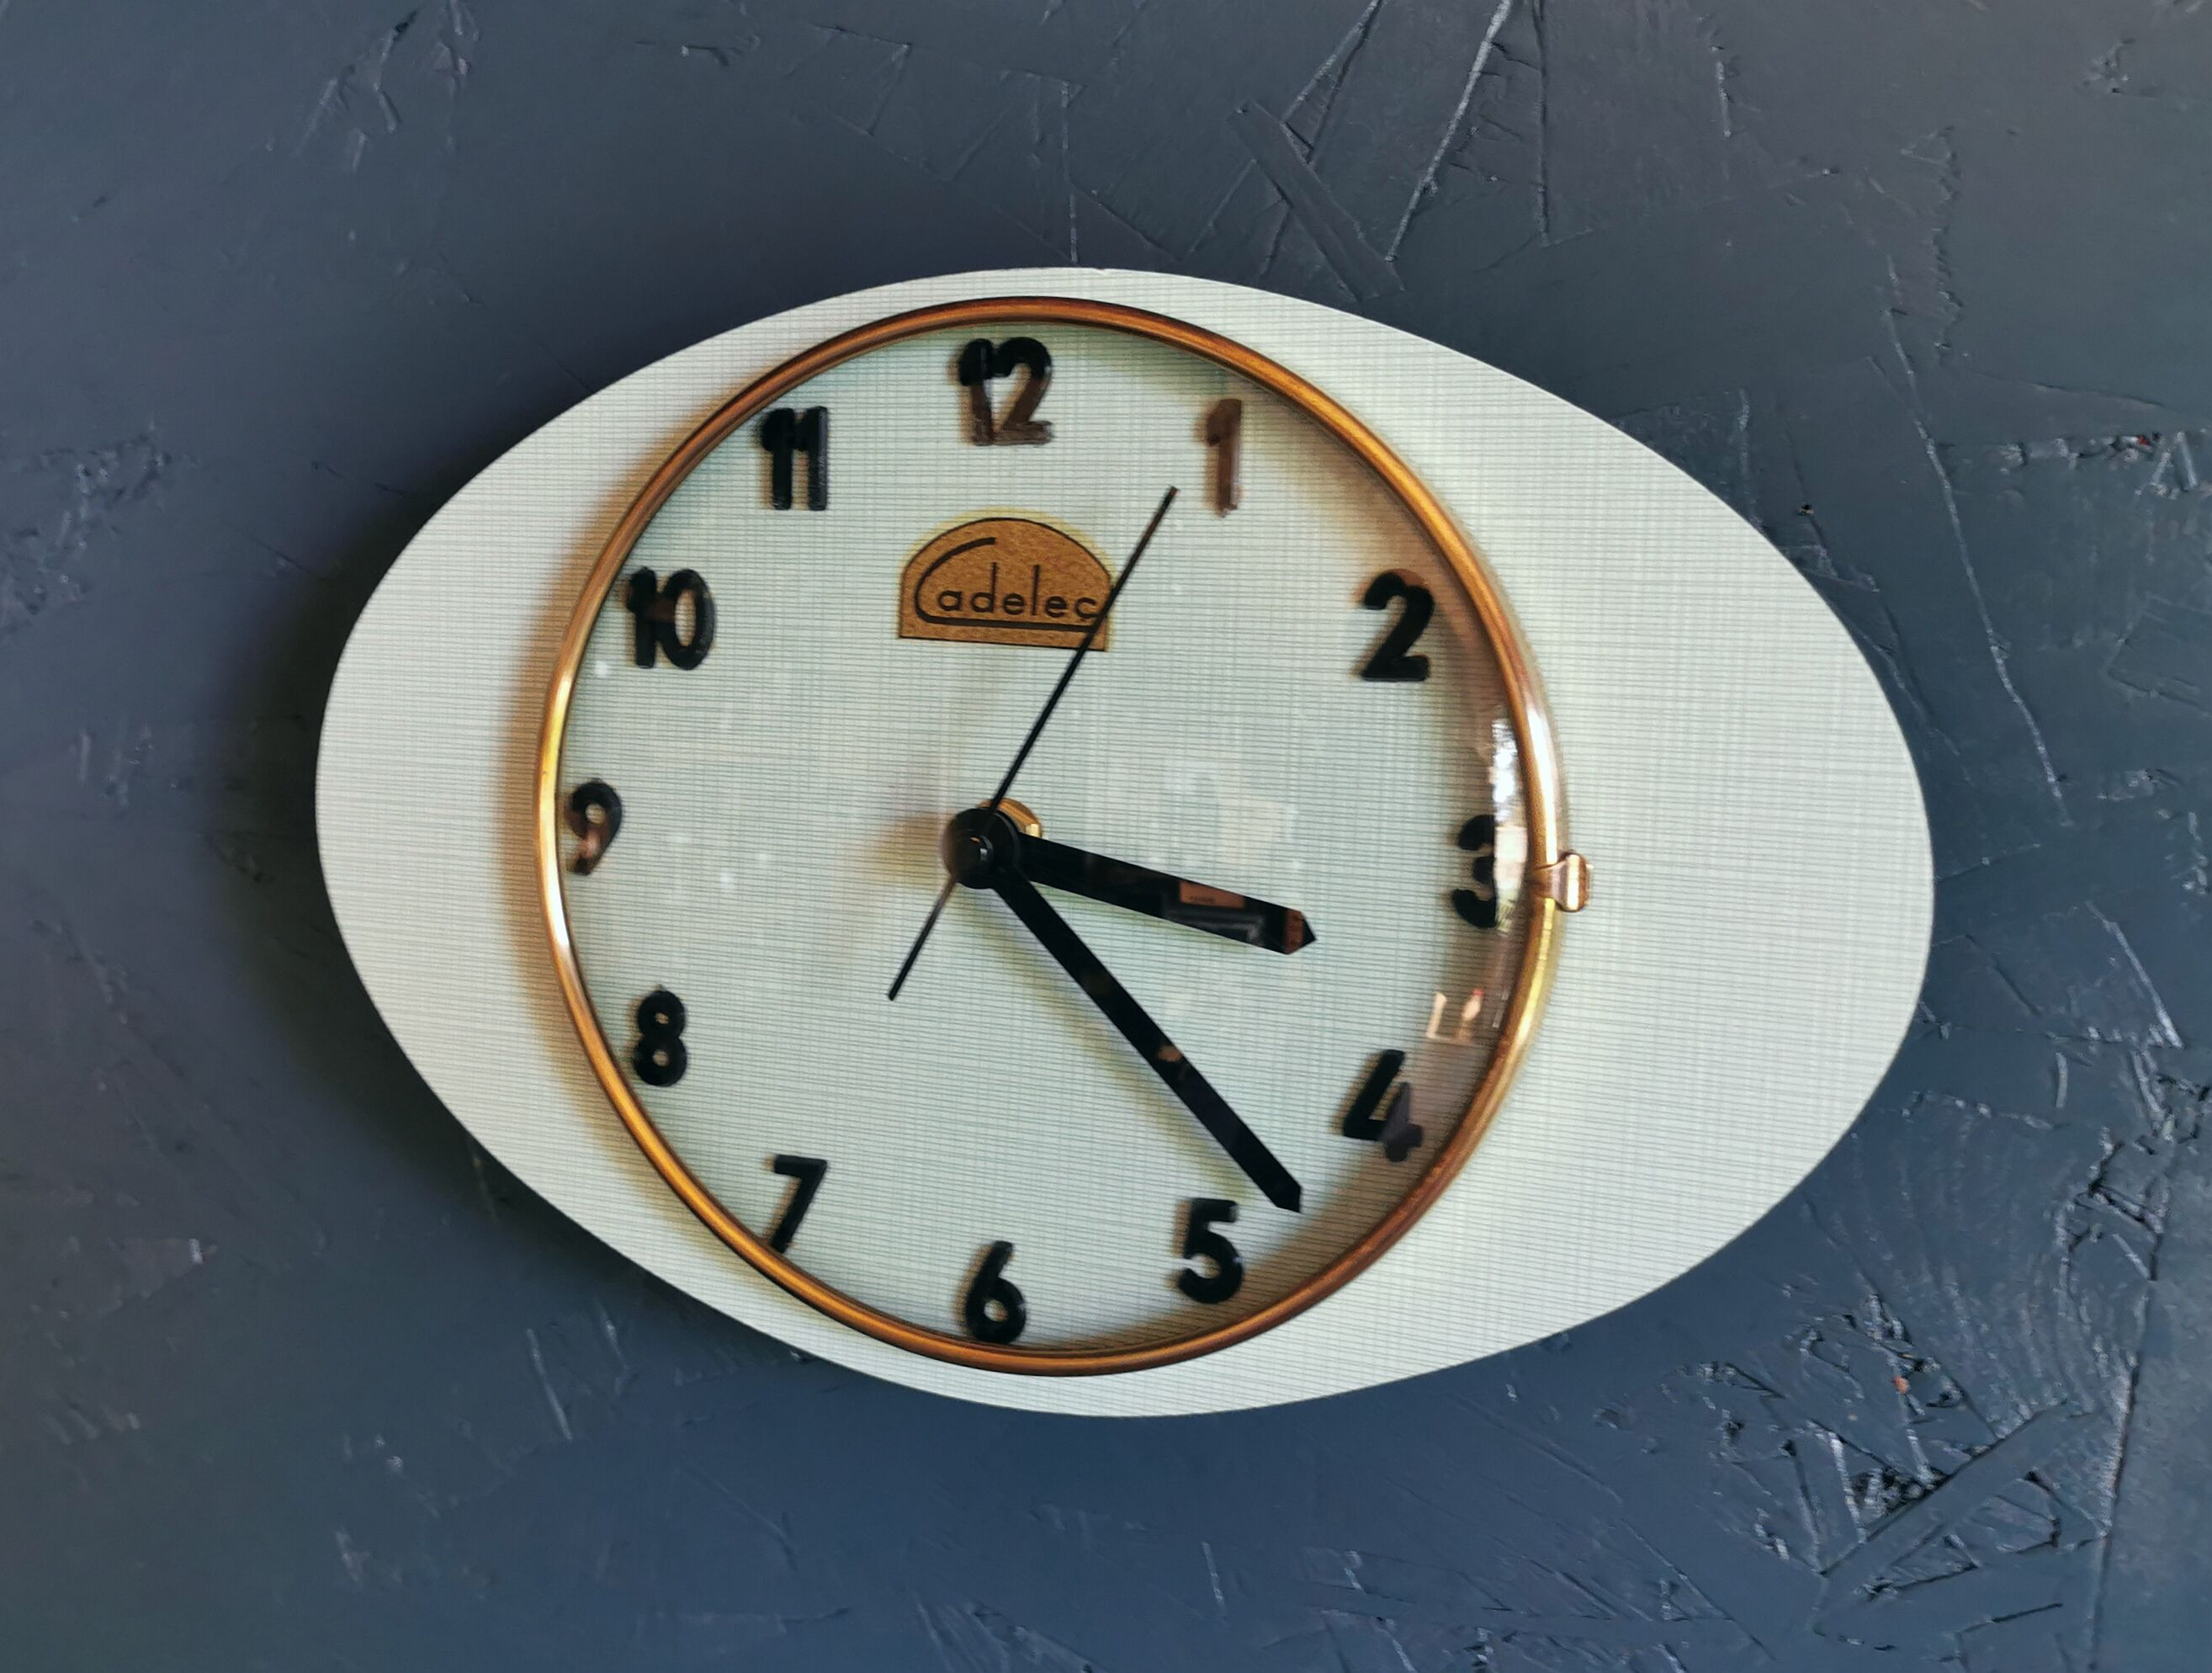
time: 3:22
